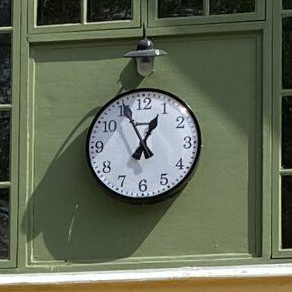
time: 12:55
